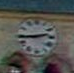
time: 2:44
